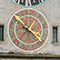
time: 10:22
